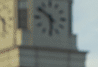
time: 5:51
